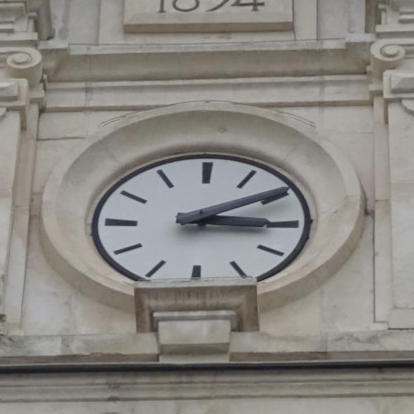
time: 3:09
